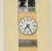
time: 7:24
